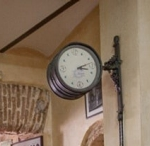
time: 3:12
